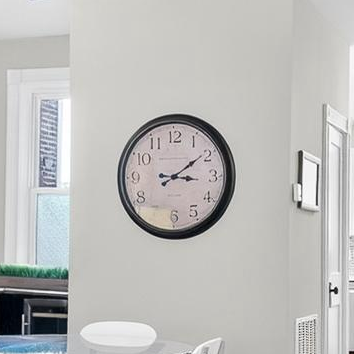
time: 3:09
